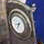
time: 8:35
